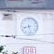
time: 8:27
